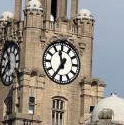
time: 11:35
